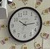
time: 10:14
